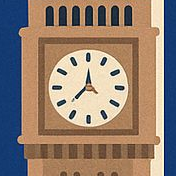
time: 11:37
